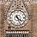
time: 4:26
